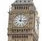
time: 12:16
